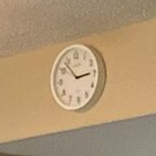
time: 2:53
